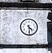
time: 4:29
